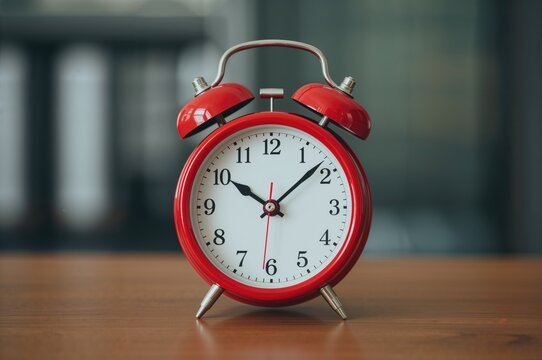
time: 10:08
